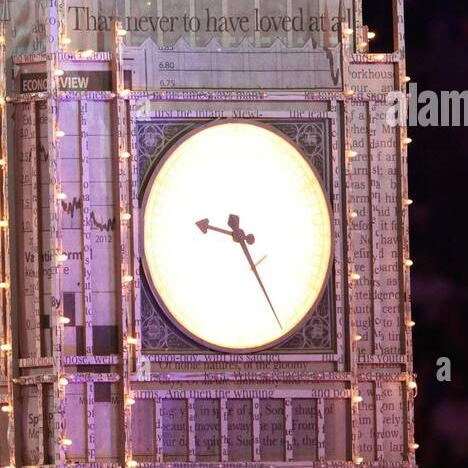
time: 9:25
